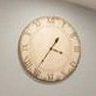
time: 3:35
